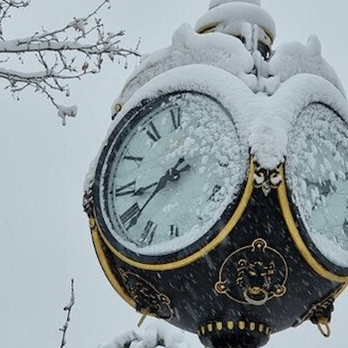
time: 8:38
